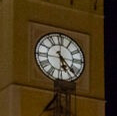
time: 5:22
